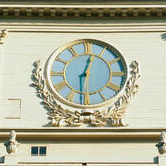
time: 12:30
